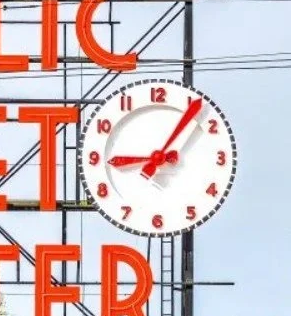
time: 9:06
